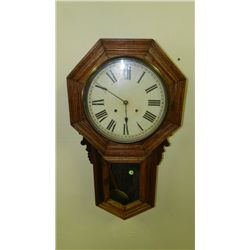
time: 5:49
